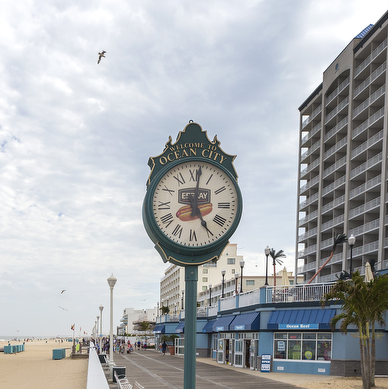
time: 5:01
